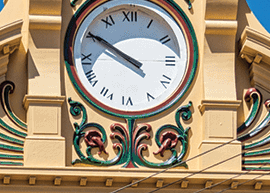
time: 9:50
